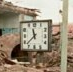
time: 11:37
